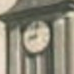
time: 9:01
